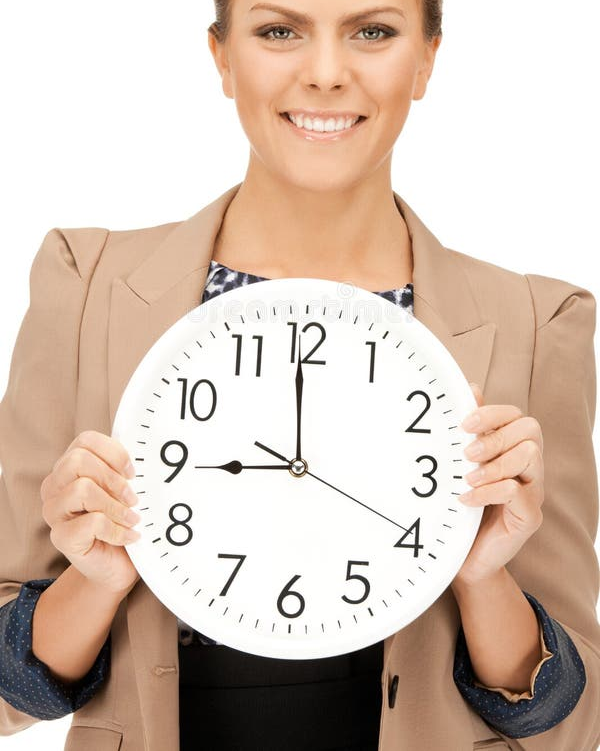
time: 8:59
